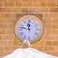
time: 11:46
